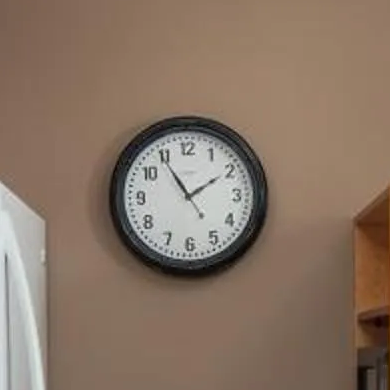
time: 1:54
